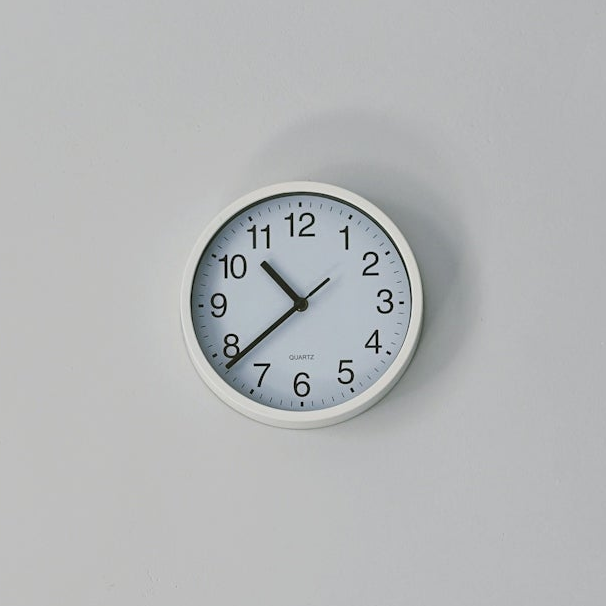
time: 10:38
